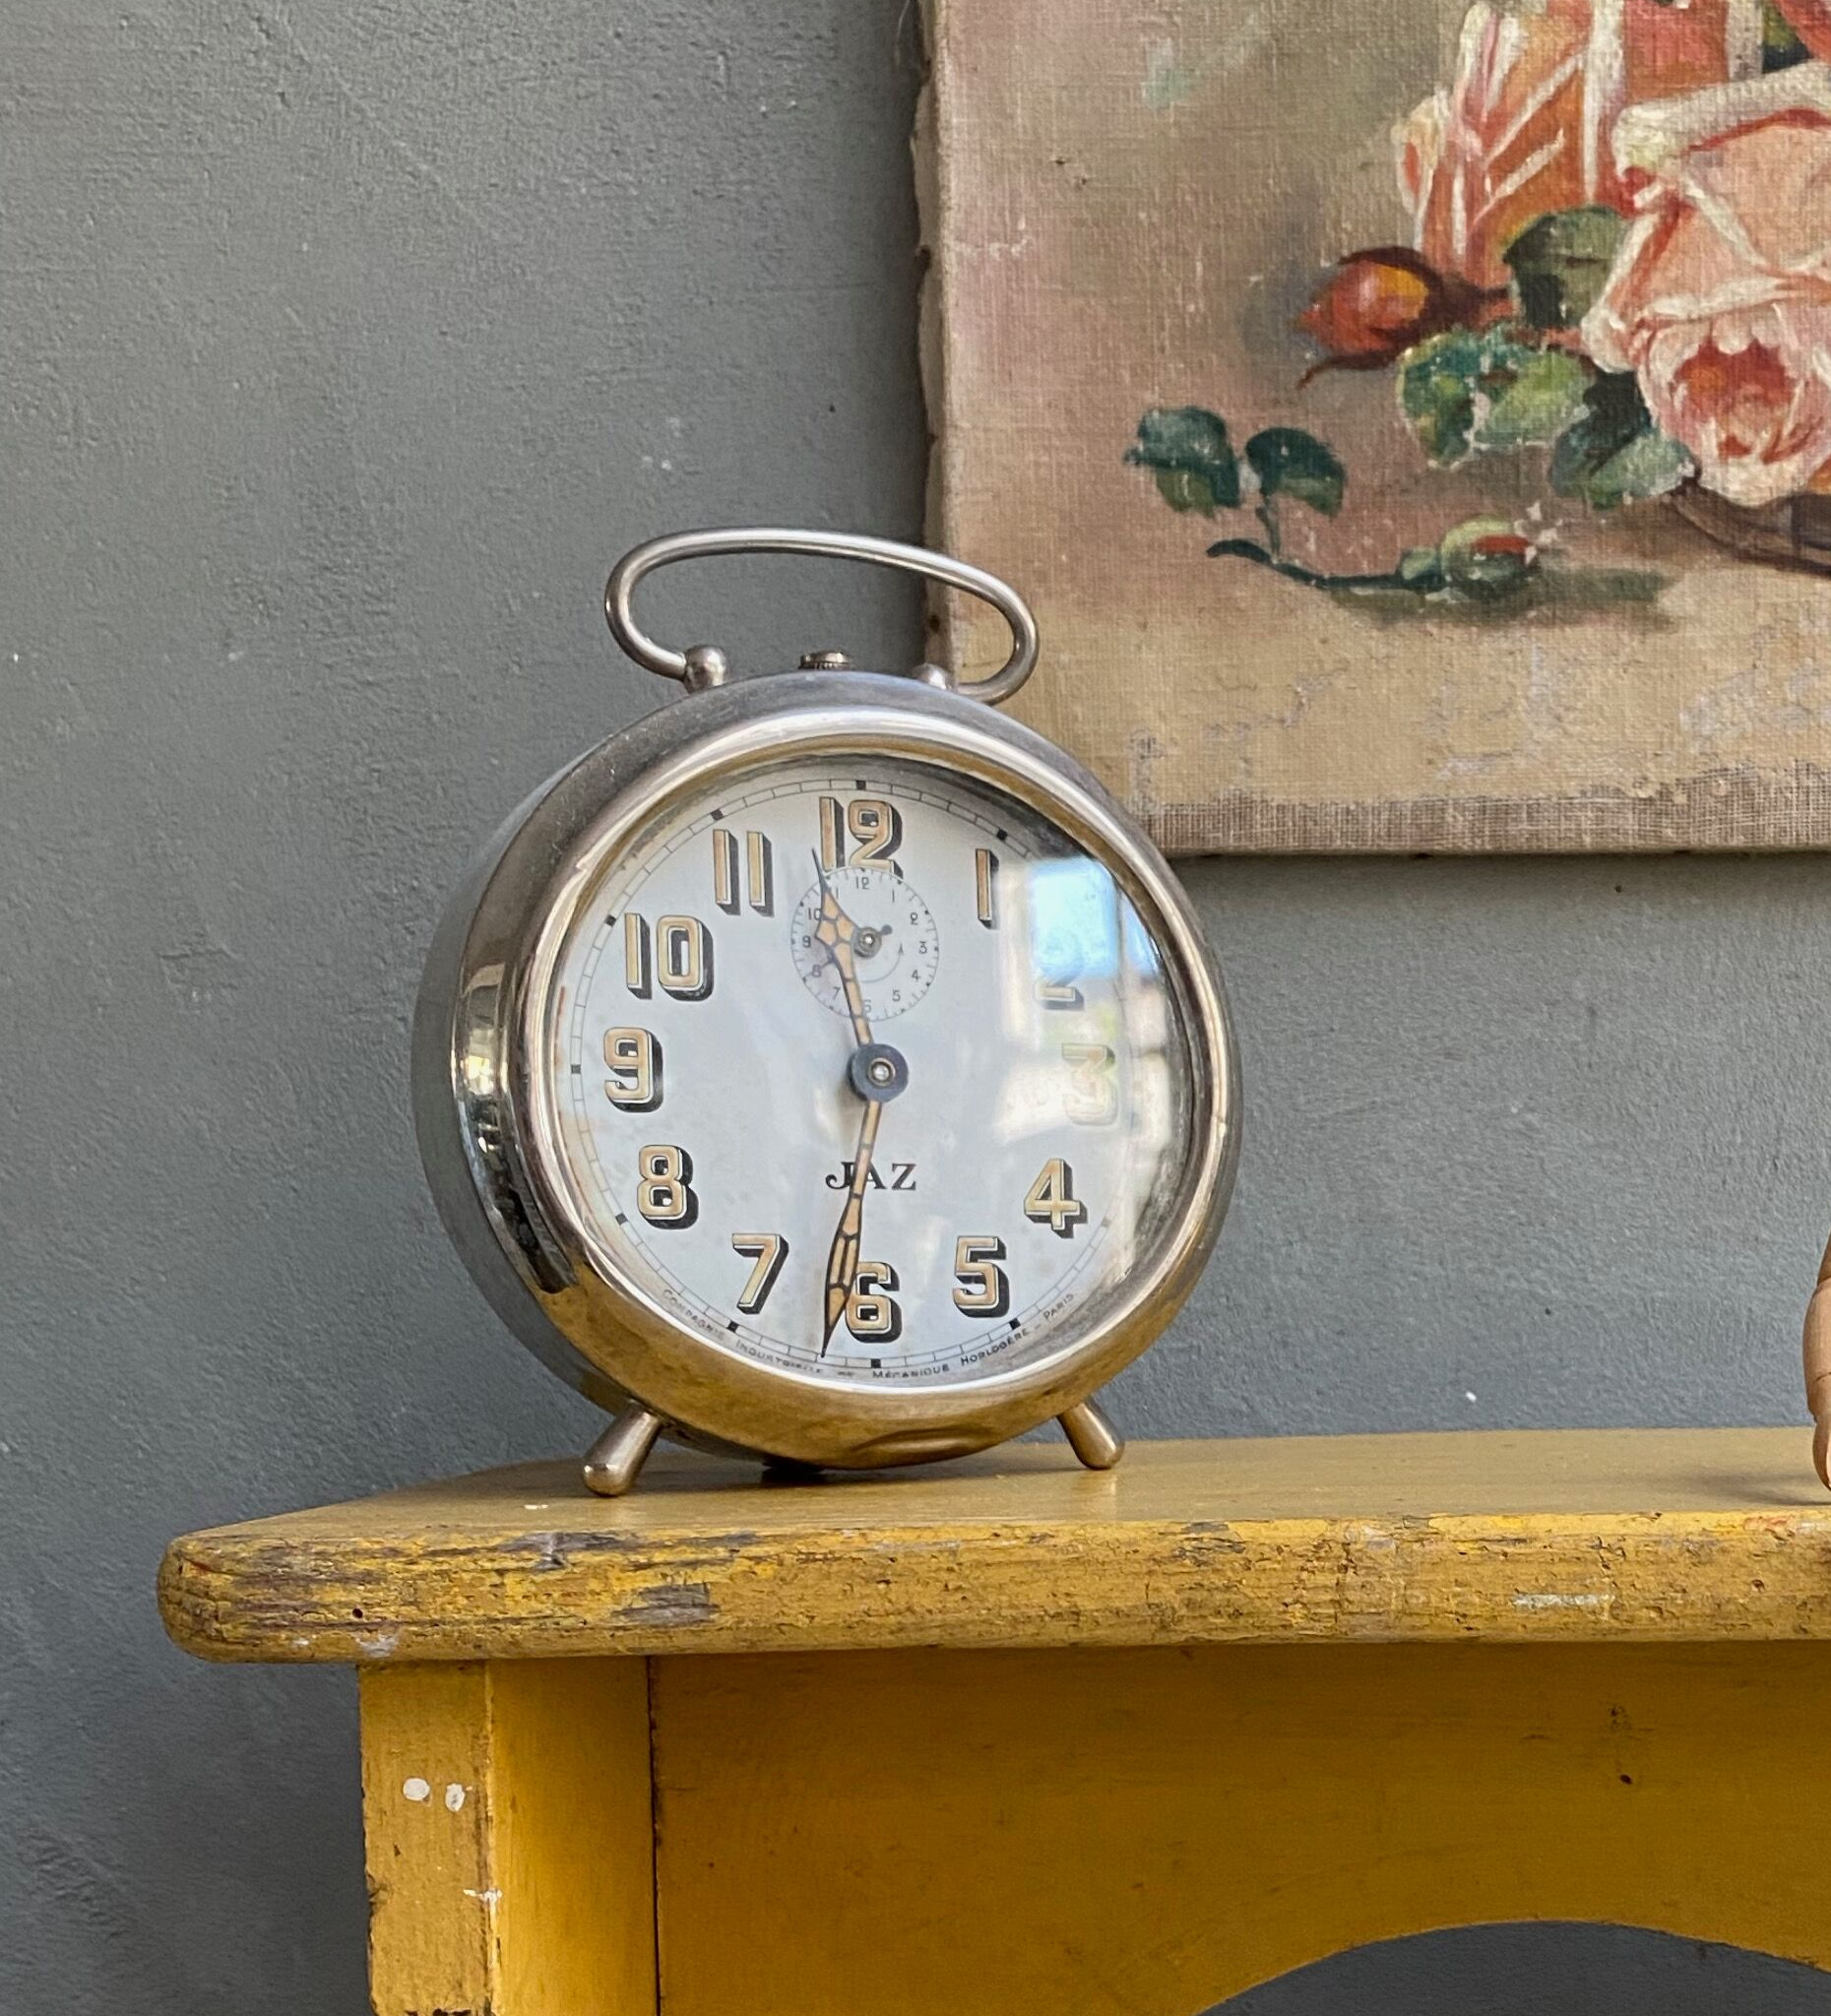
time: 11:31
